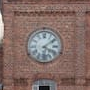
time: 4:08
